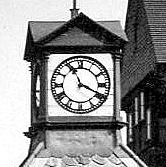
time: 11:19
